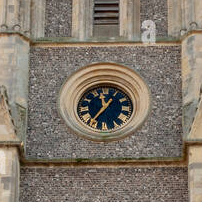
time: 11:35
